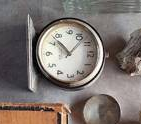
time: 11:07
